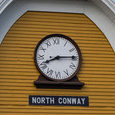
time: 8:14
